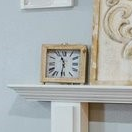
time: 11:31
